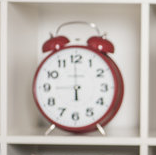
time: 5:59
